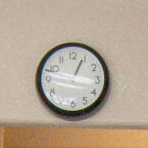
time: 12:47
